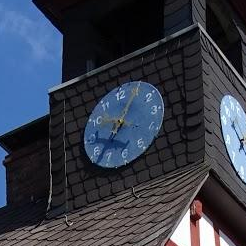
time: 7:05
